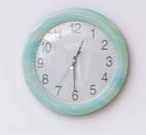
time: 12:30
